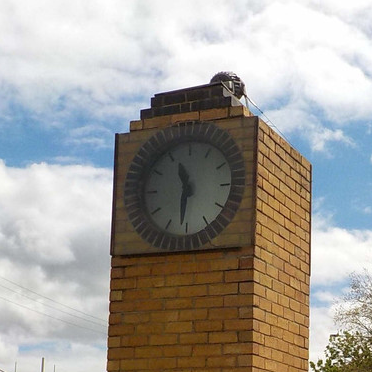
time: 11:31
